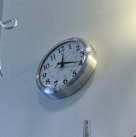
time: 12:19
